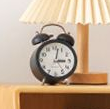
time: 3:02
